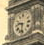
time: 9:32
